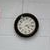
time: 4:13
